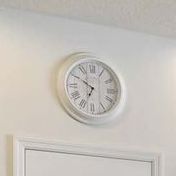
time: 6:50
